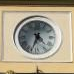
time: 12:33
